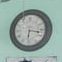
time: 6:16
